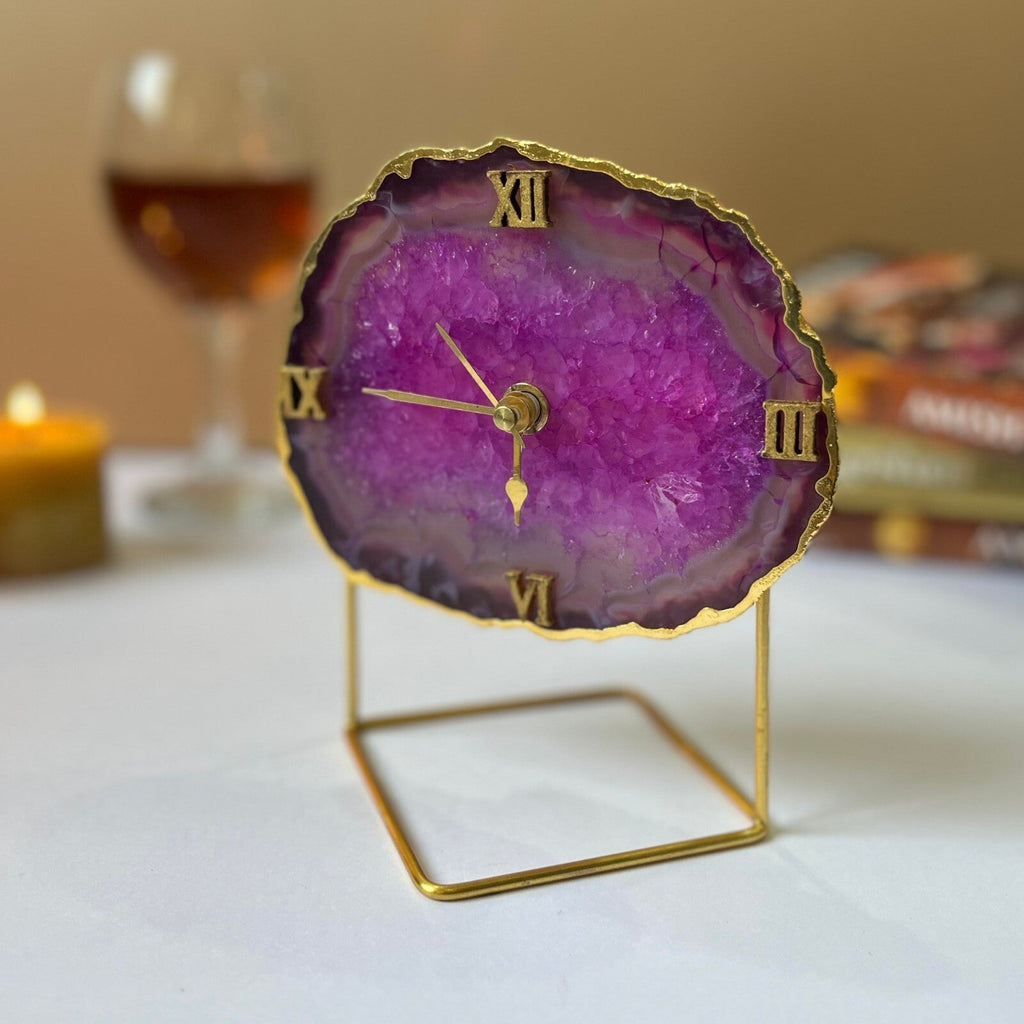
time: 10:45
